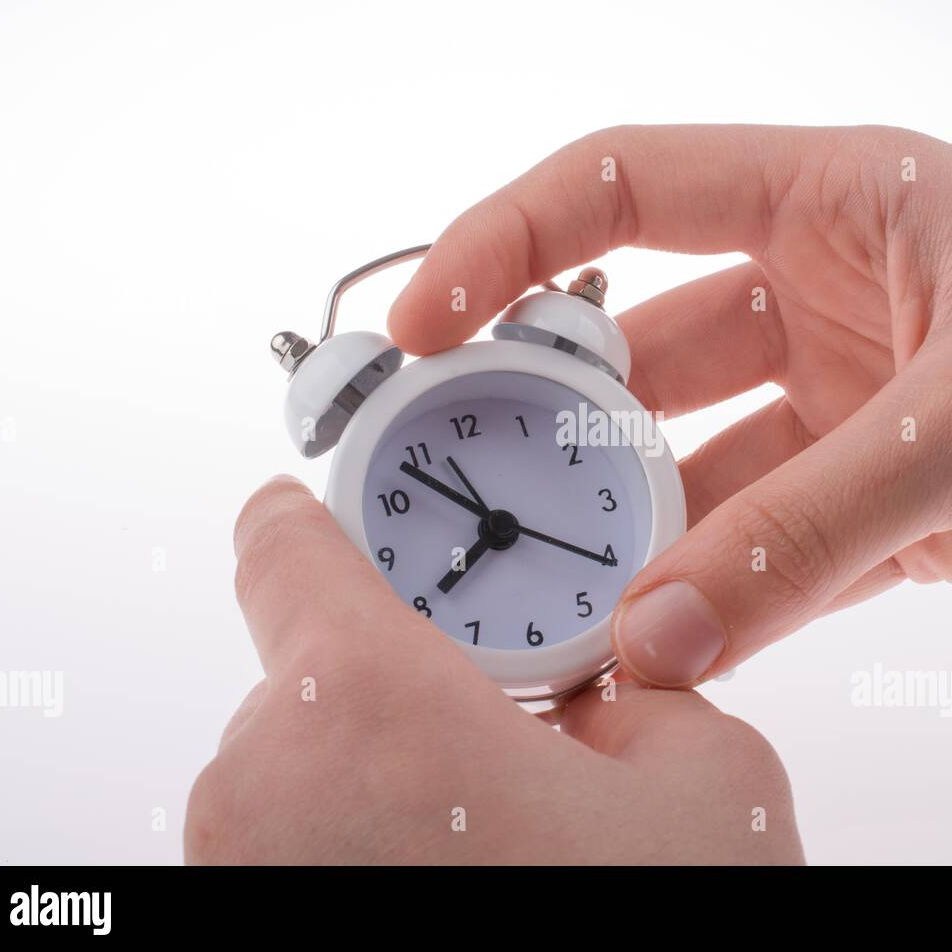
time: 7:53
